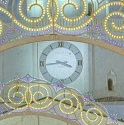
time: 3:43
